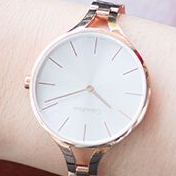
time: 8:21
